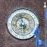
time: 5:57
